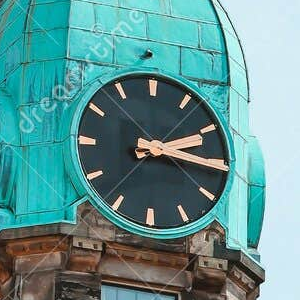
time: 2:15
